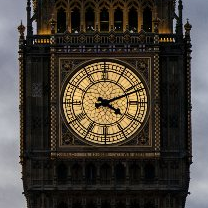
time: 4:11
